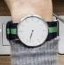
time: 6:32
